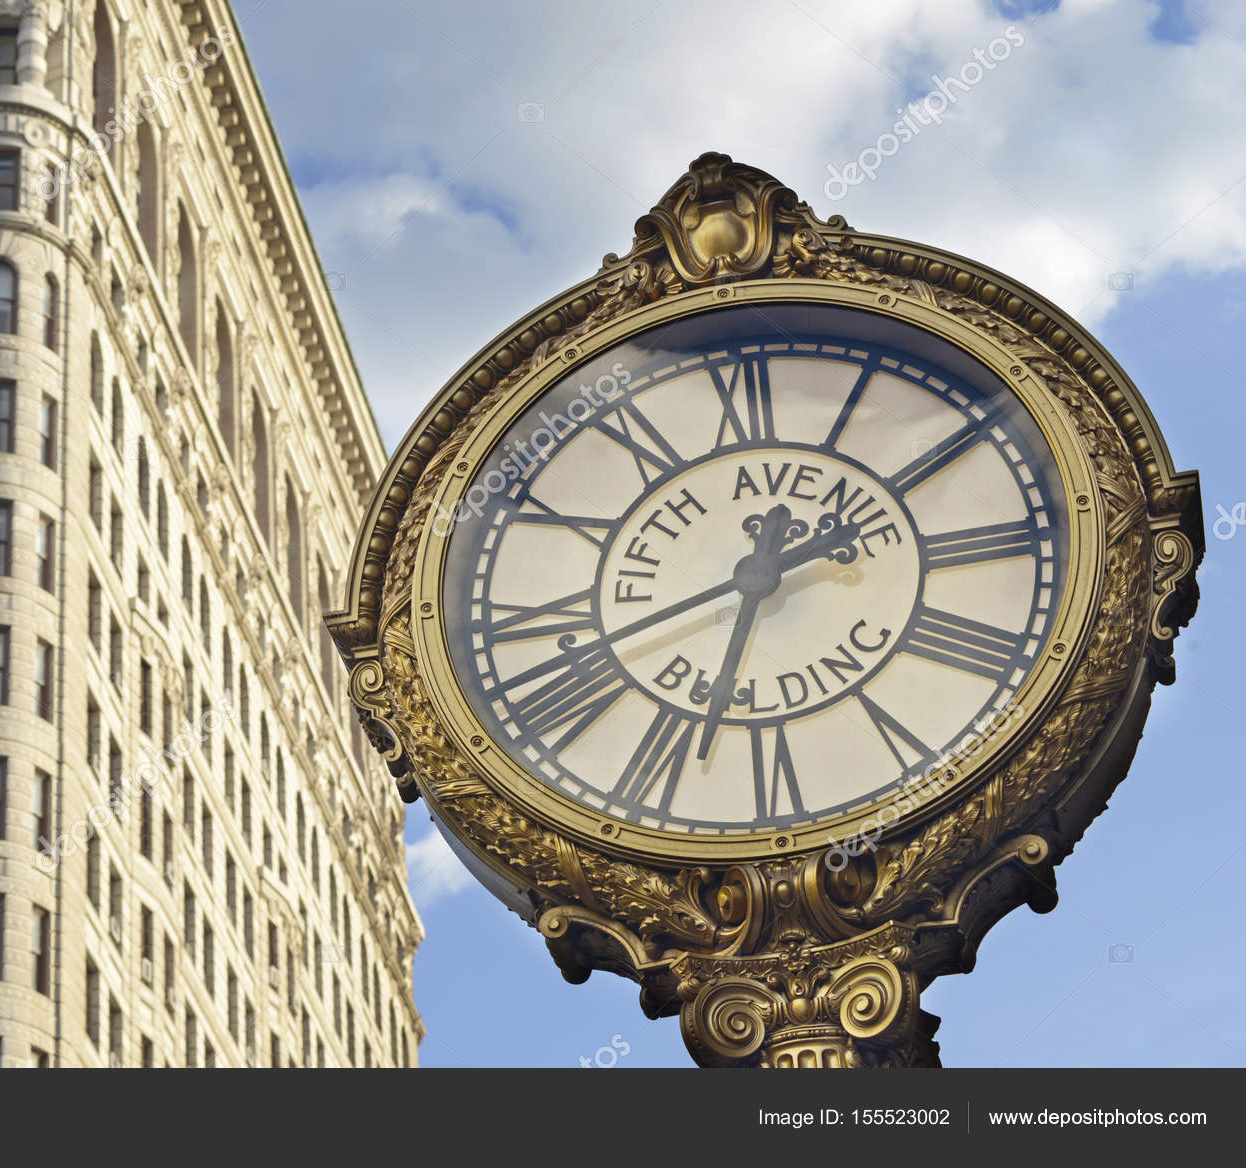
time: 12:33
